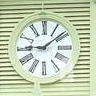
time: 9:08
